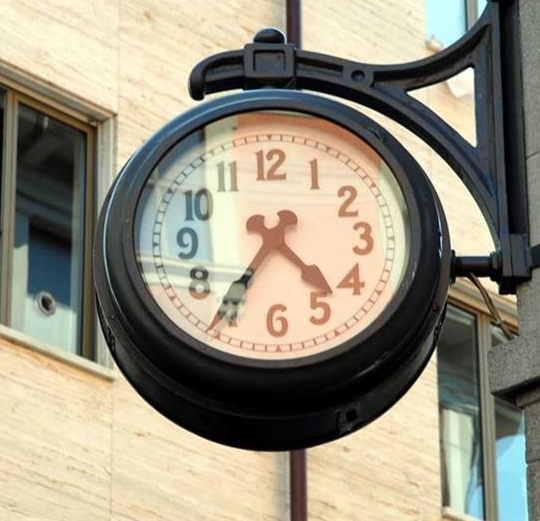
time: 4:35
